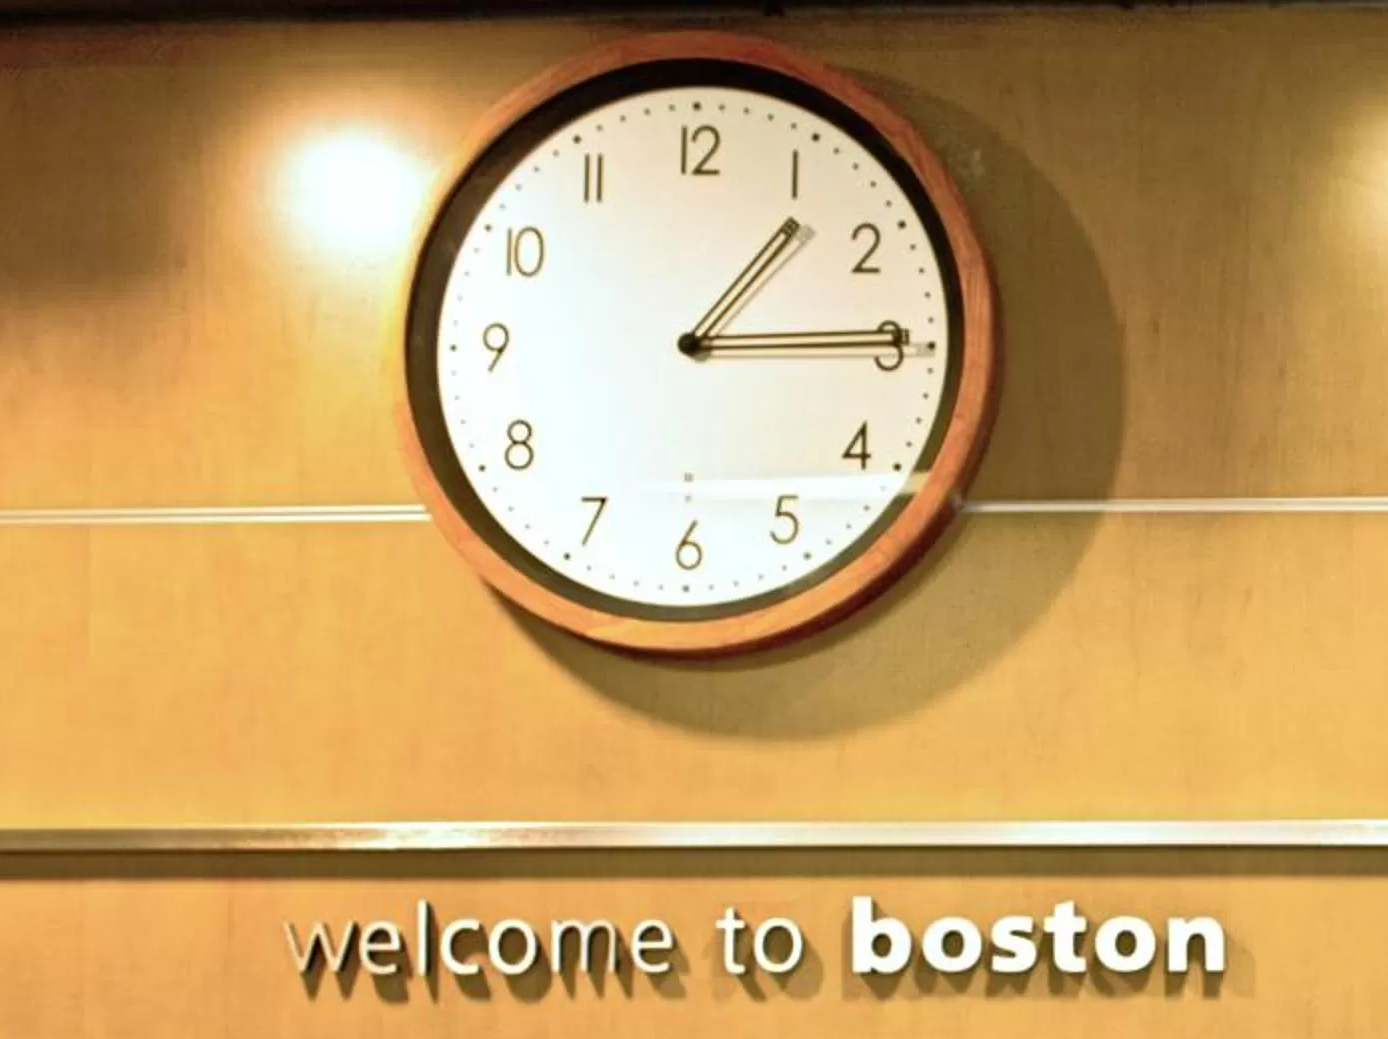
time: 1:14
